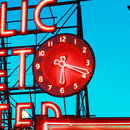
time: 6:18
